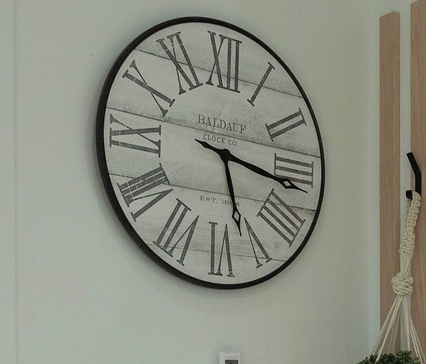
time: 5:16
